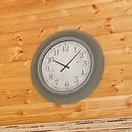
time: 10:07
